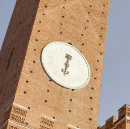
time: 12:33
